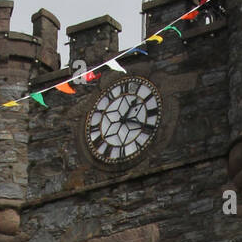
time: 1:18
